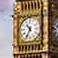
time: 10:34
